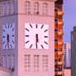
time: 5:30
